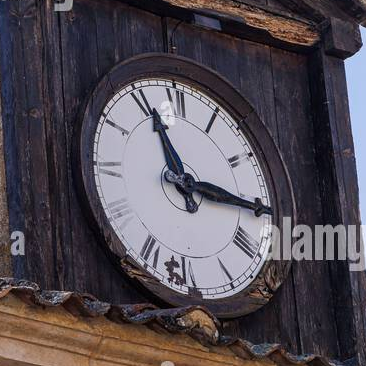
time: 11:15
